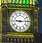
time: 9:14
